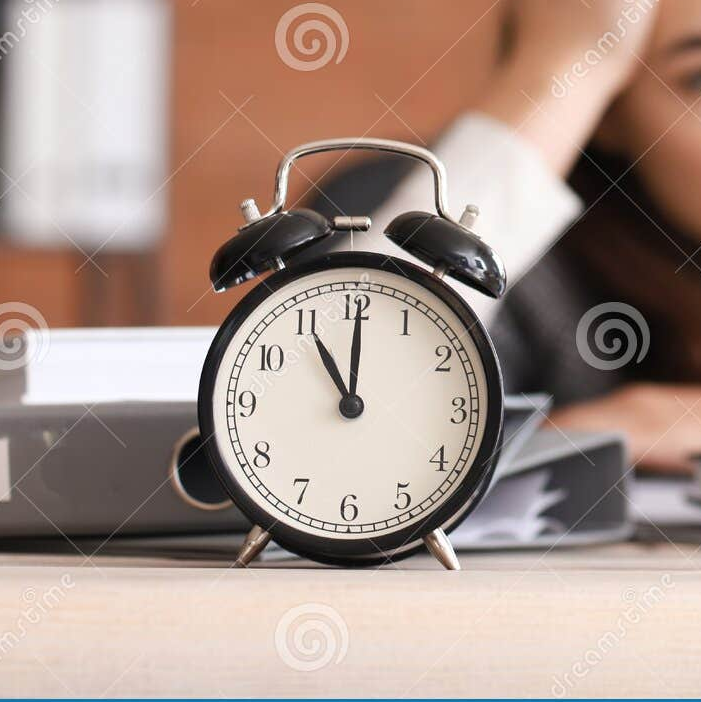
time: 11:00
